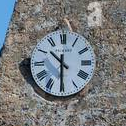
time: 10:30
